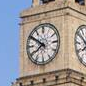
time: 7:50
